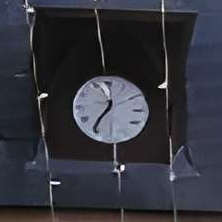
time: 12:36
